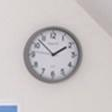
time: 1:52
